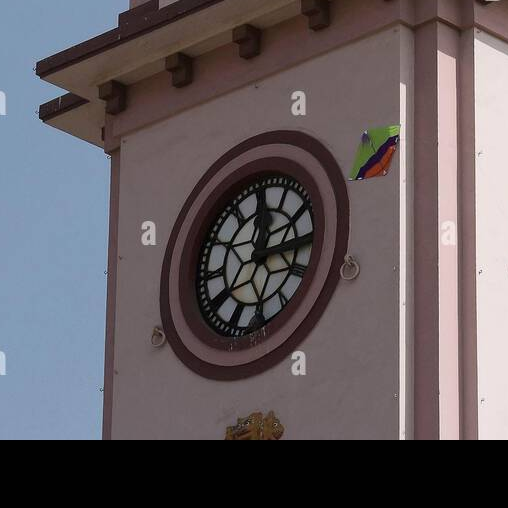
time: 12:14
